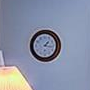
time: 1:16
